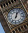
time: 12:03
